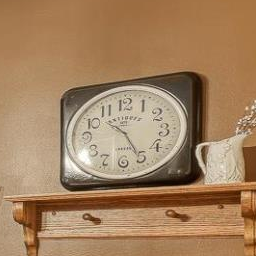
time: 10:25
